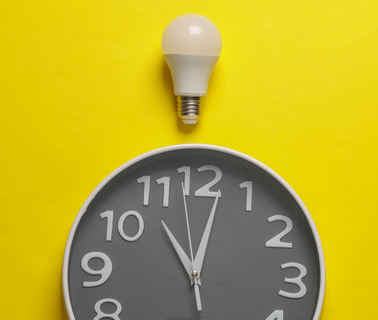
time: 11:02
